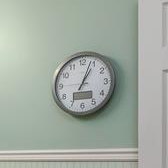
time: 1:03
